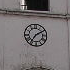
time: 7:10
